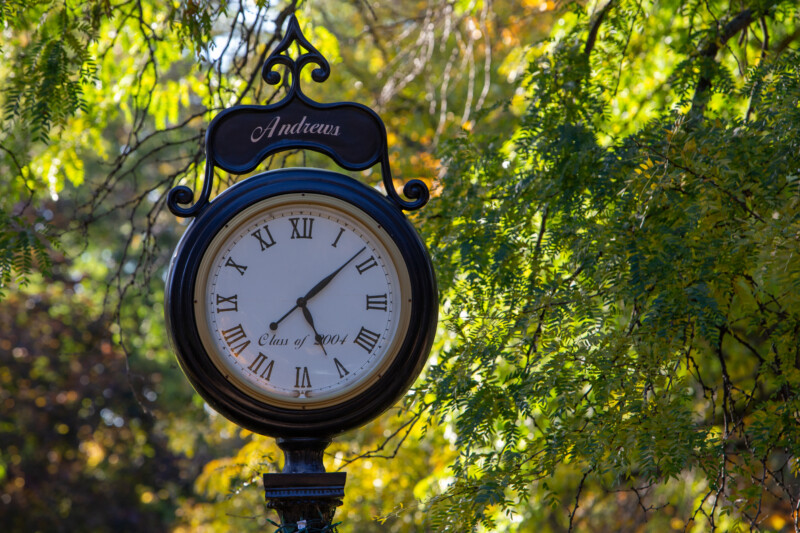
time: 5:08
